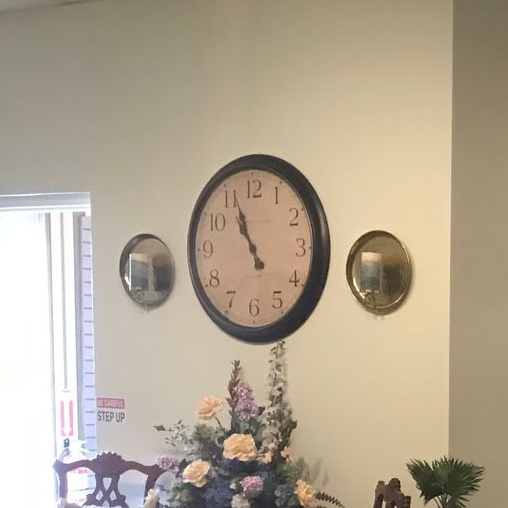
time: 10:56
